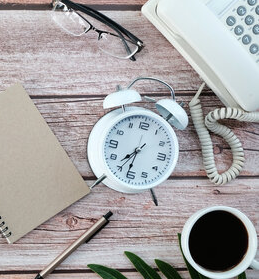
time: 7:31
